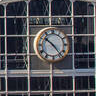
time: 10:23
